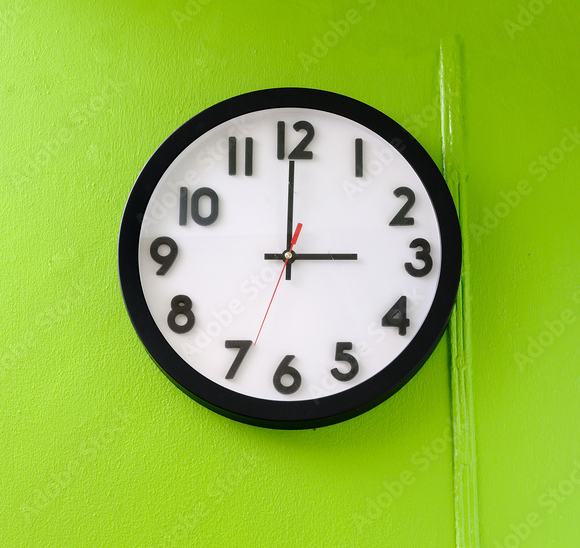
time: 2:59
